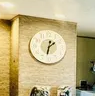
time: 1:32
